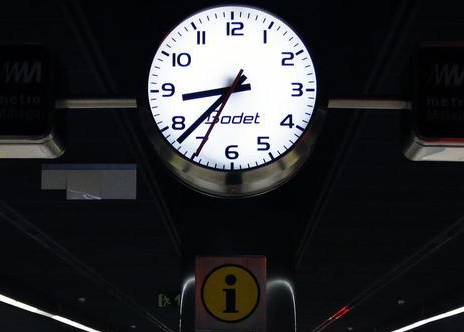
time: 8:37
